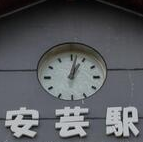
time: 1:02
